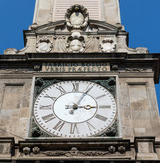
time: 3:04
